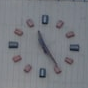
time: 11:24
